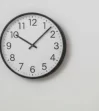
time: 10:07
